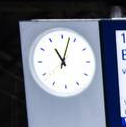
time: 11:02
